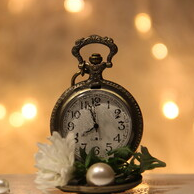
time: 7:57
